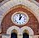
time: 1:01
